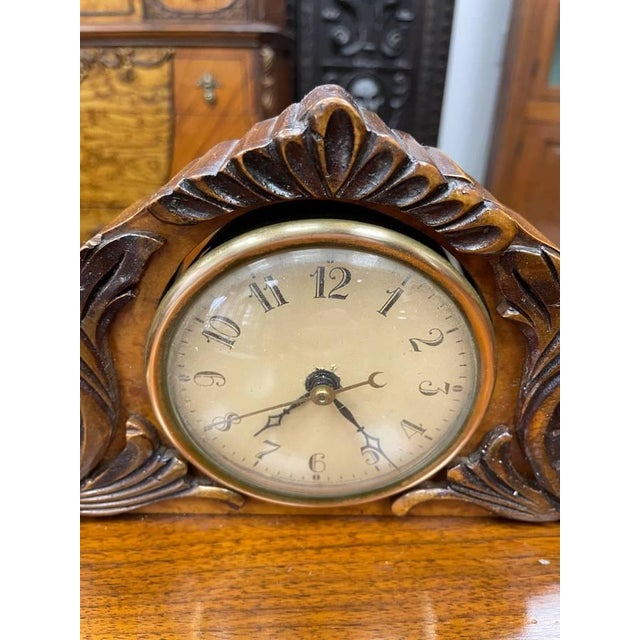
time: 7:24
